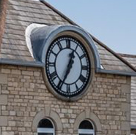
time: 12:35
